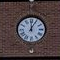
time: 12:04
